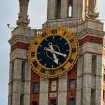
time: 5:18
